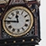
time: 11:46
